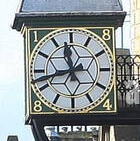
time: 11:42
